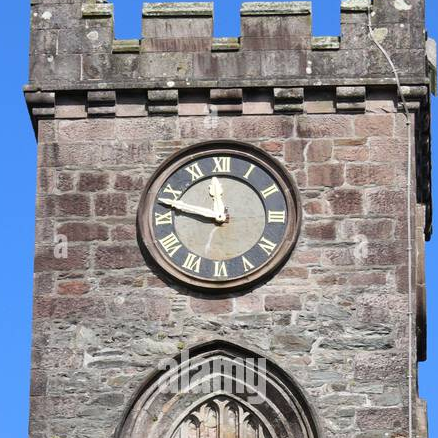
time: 11:47
